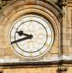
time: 9:42
